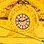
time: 9:10
